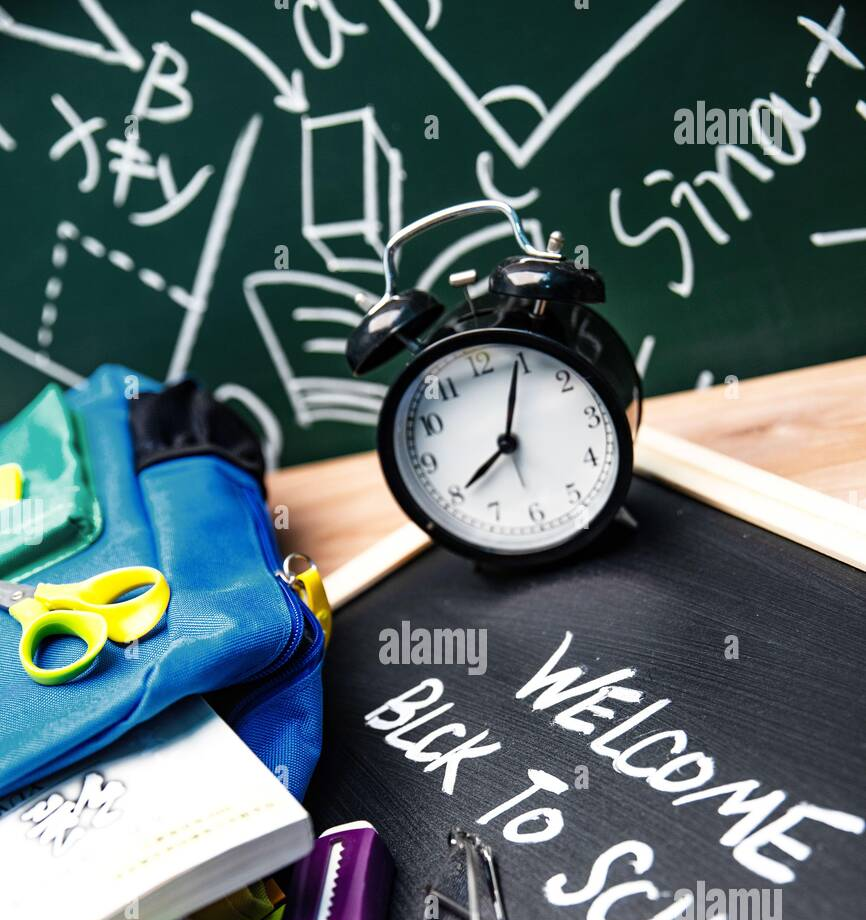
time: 8:04
